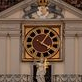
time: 4:04
